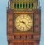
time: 9:23
